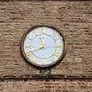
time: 11:41
